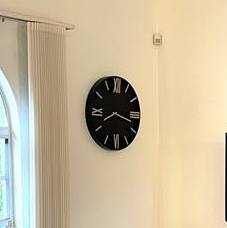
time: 8:17
